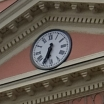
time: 6:34
